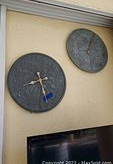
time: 8:27
